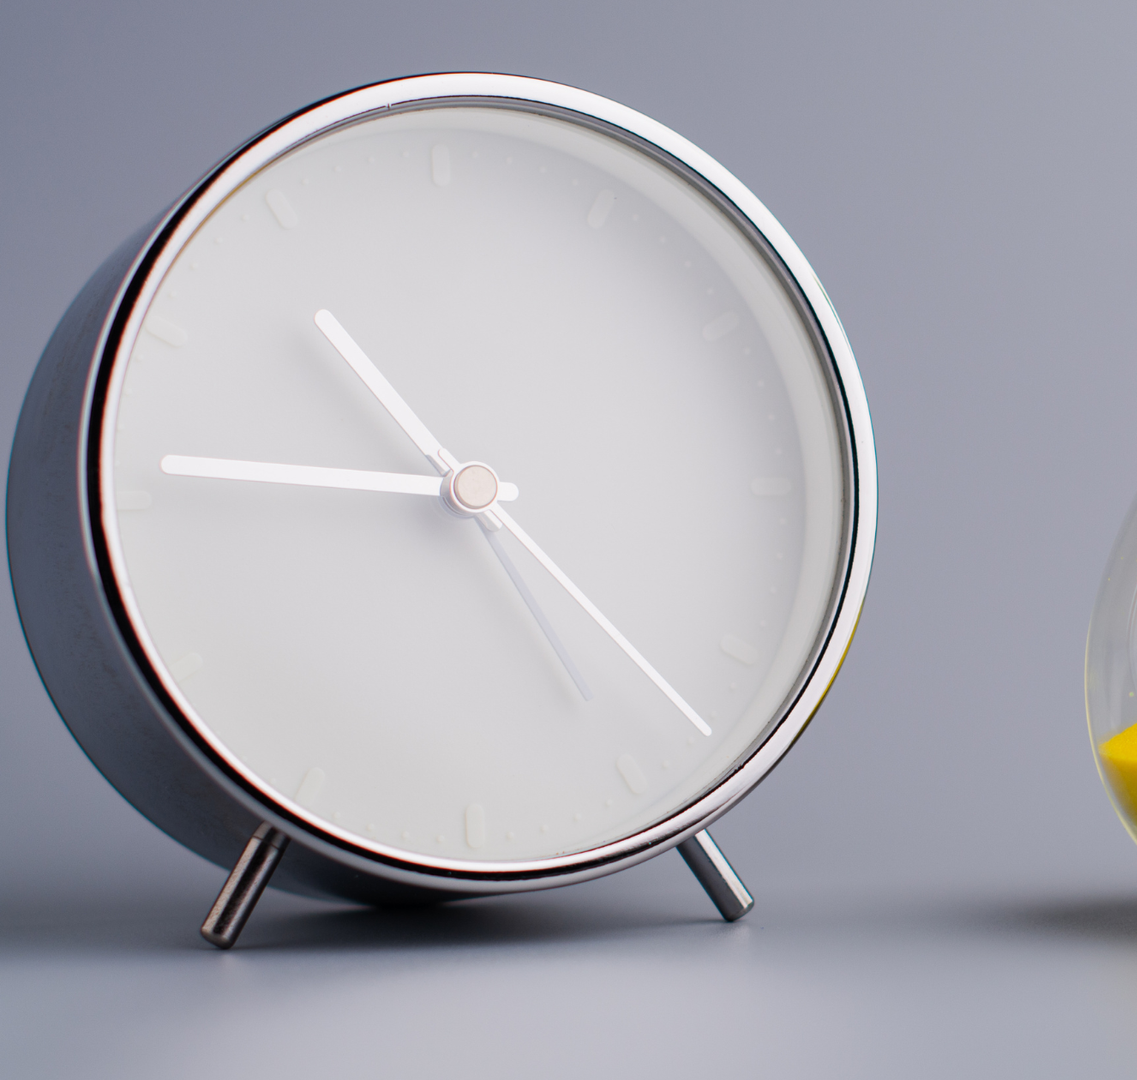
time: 10:45
